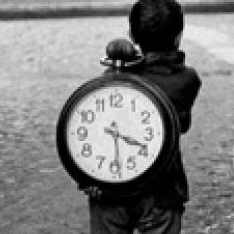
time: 3:29
